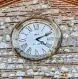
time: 4:10
